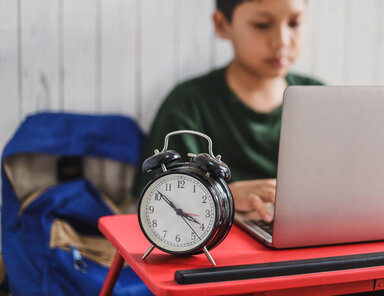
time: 3:51
